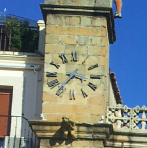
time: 3:36
